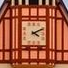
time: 4:10
